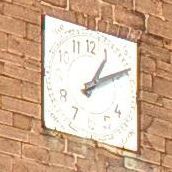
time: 1:09
